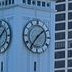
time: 1:36
